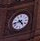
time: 4:42
